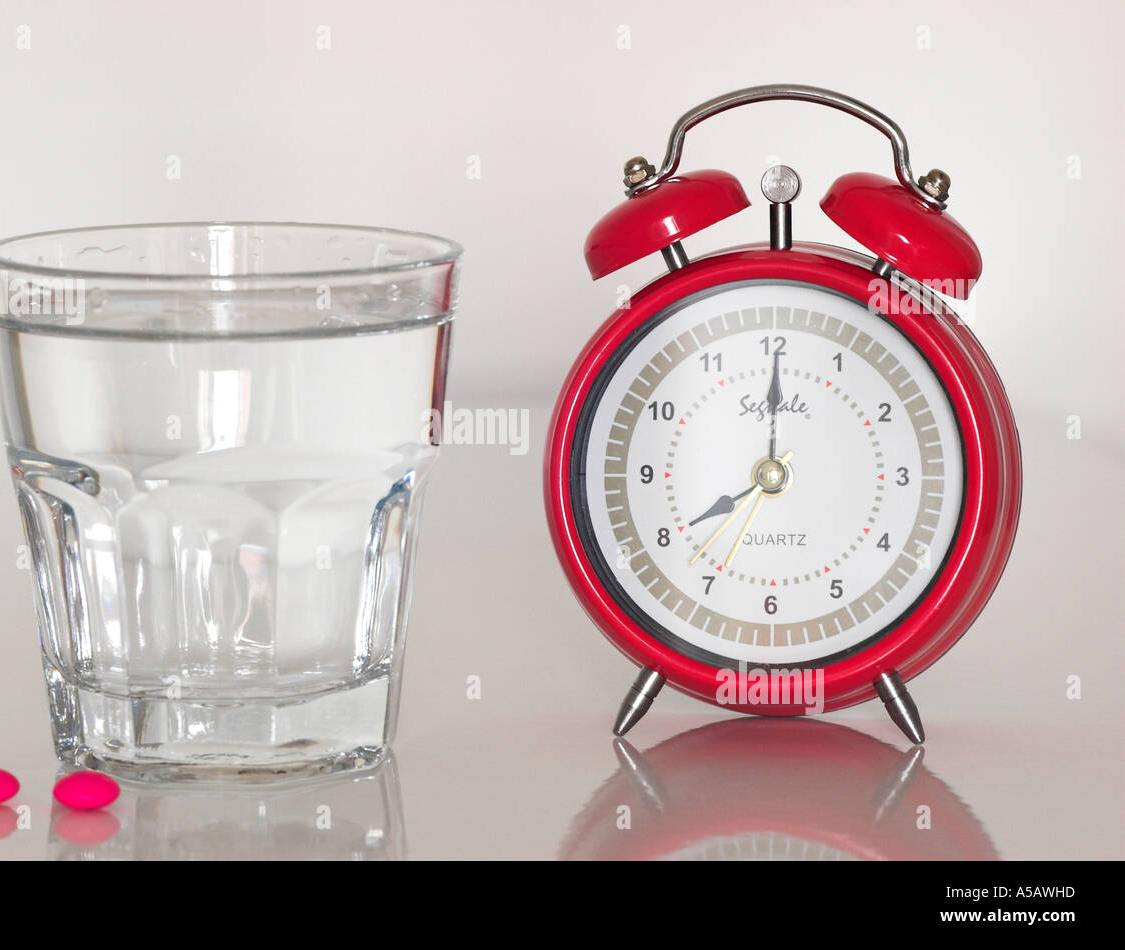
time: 8:00
